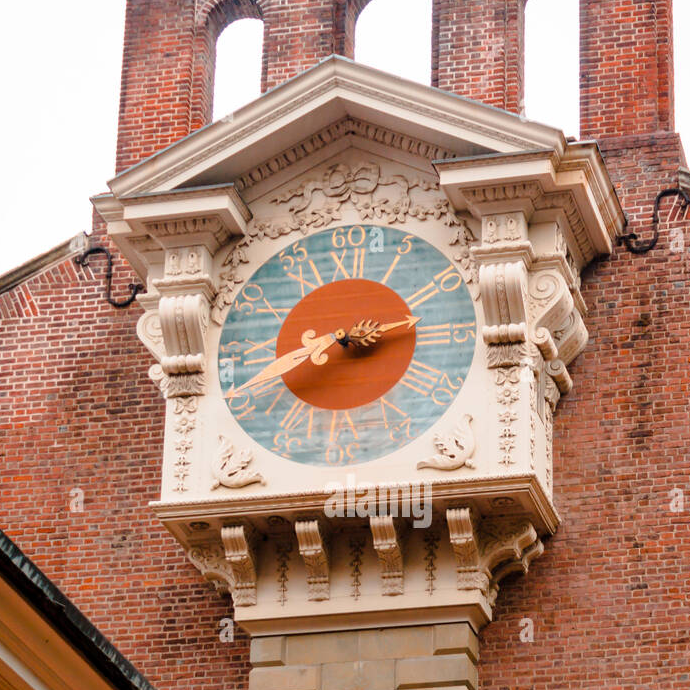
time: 8:12
